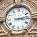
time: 3:13
